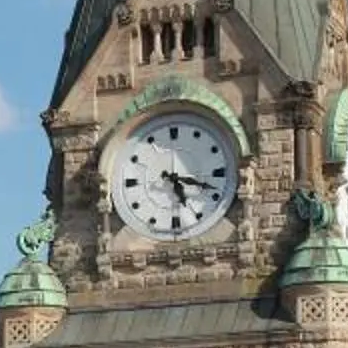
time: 5:18
